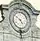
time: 4:50
